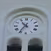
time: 10:35
